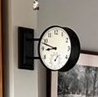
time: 8:48
